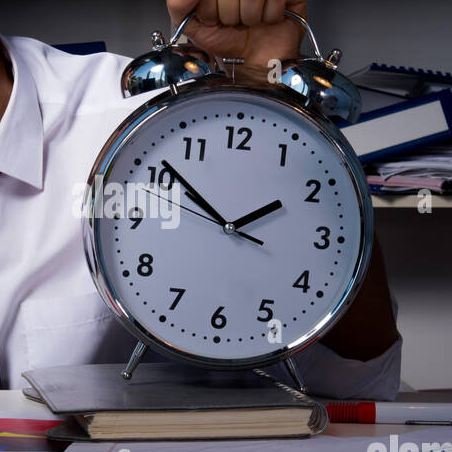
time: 1:51
